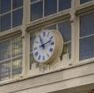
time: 11:12
